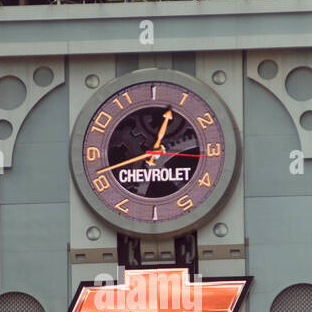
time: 12:42
